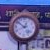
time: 12:51
